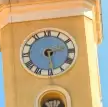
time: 2:29
